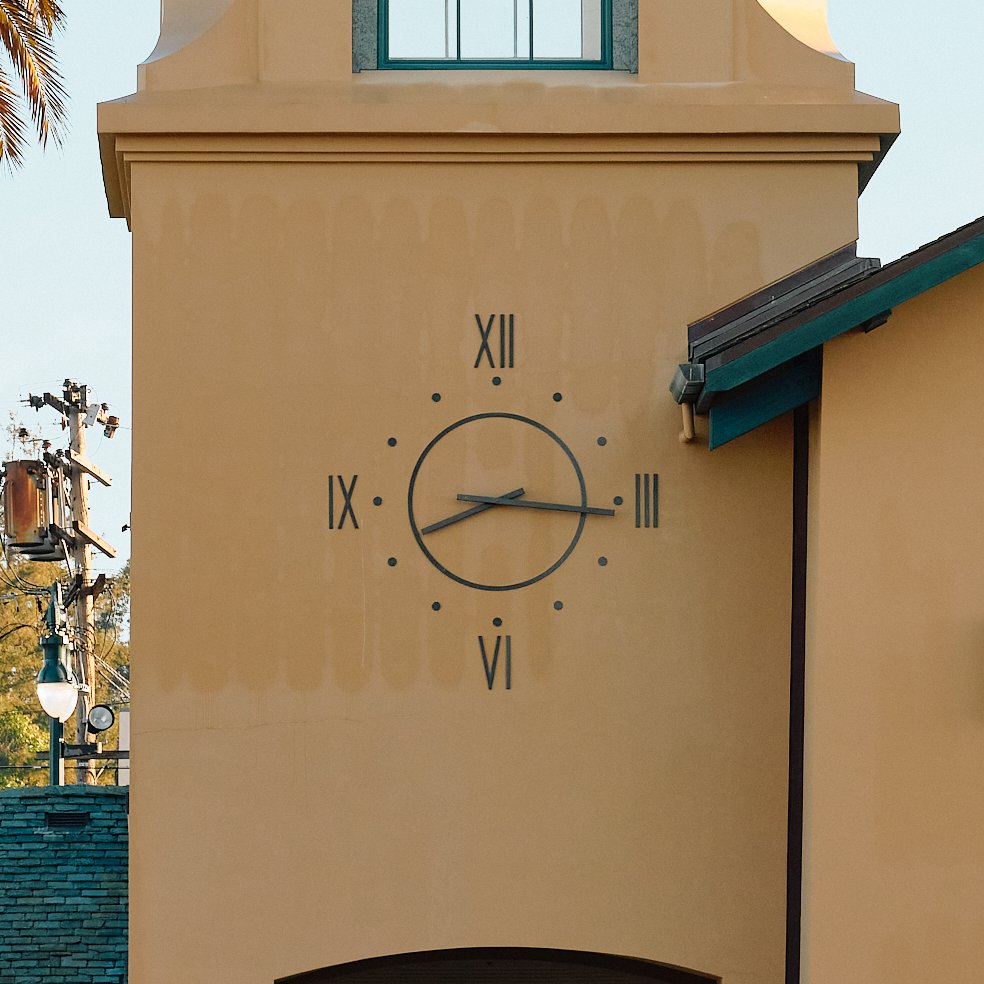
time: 8:16
